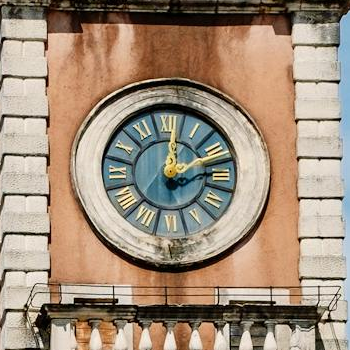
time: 12:12
